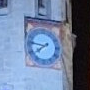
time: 7:46
